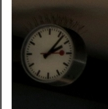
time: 2:06
